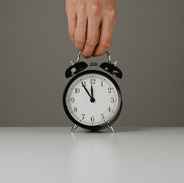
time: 11:54
